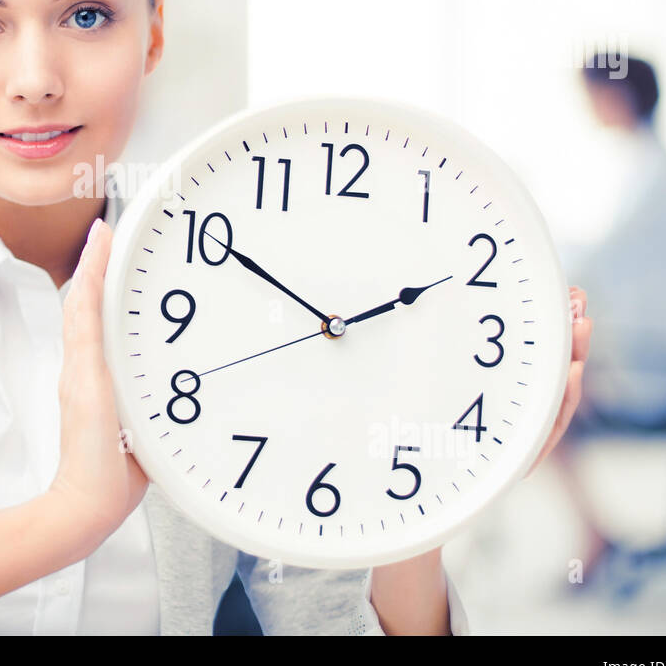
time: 1:50
